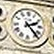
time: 2:23
